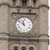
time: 11:51
